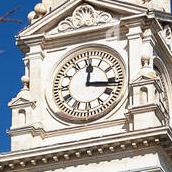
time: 12:16
